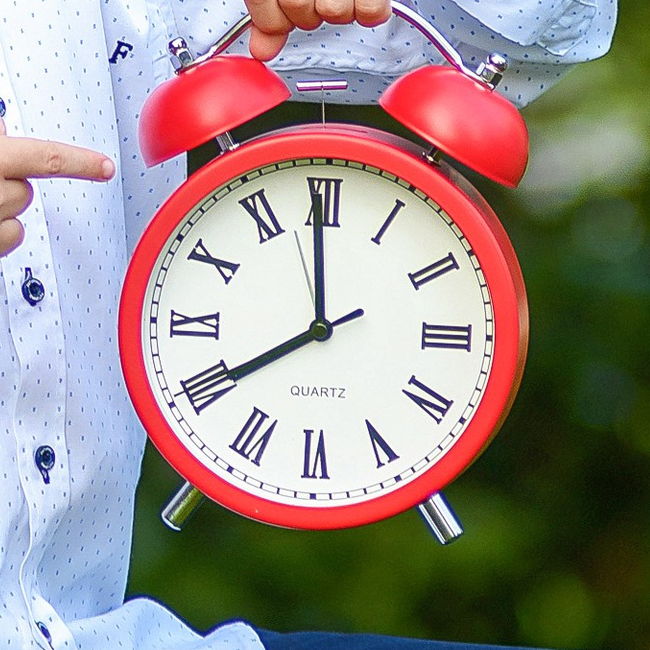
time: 7:59
